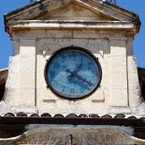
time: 1:20
